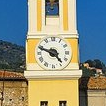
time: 4:48
